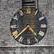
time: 4:37
